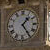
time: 1:24
